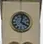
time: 4:02
